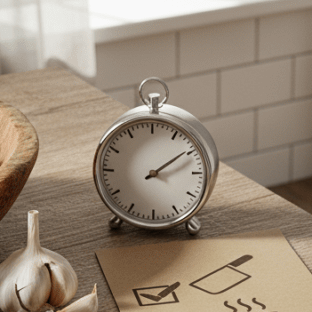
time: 2:09
